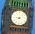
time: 9:08
